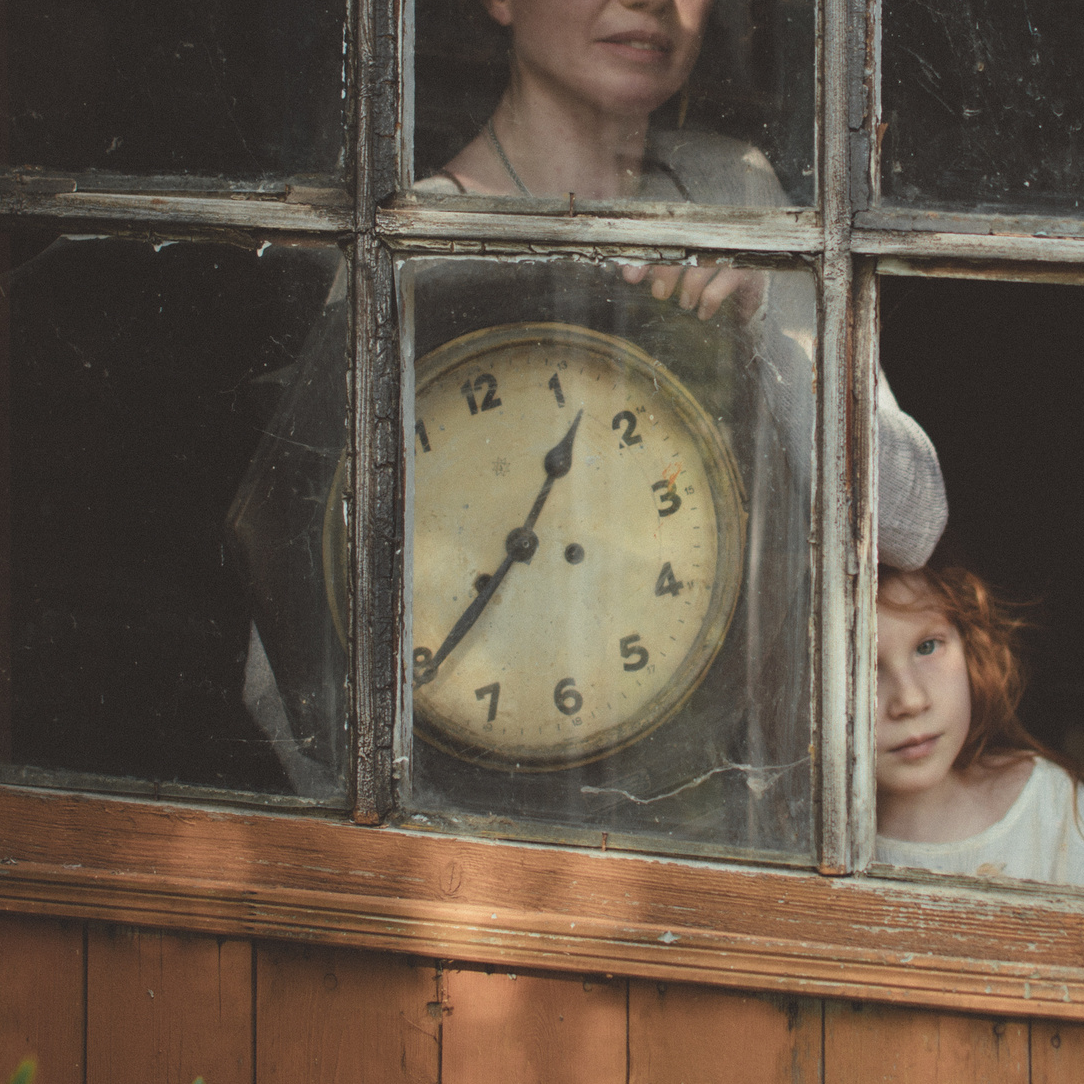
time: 1:39
